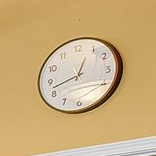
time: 12:42
